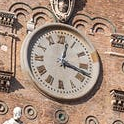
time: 12:17
